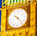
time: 10:23
